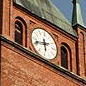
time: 5:42
